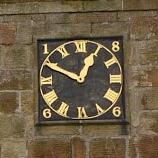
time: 12:49
